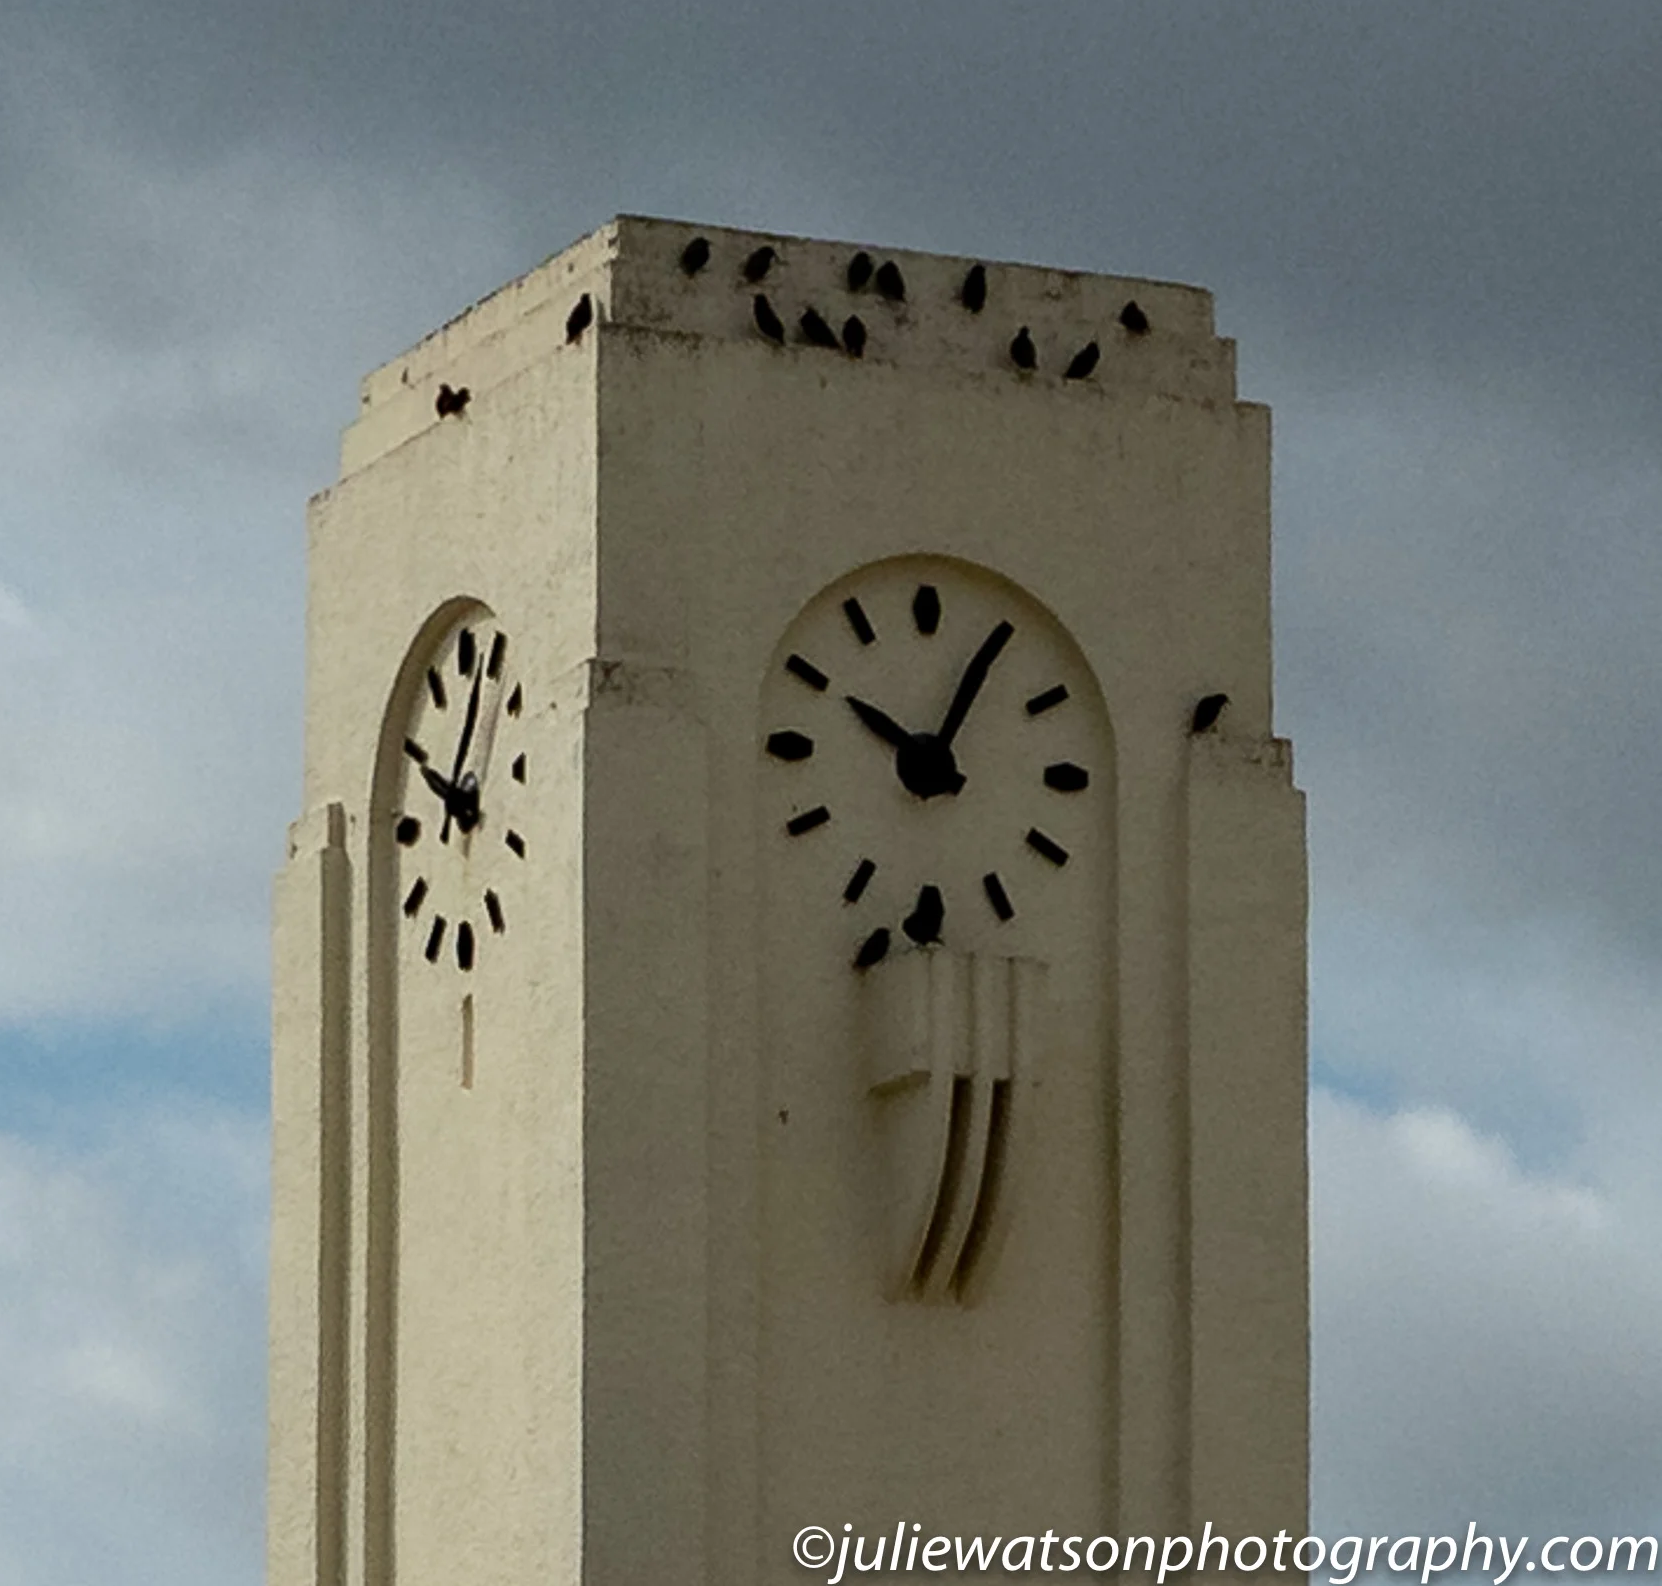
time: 10:05
